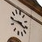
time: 3:43
